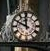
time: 11:49
